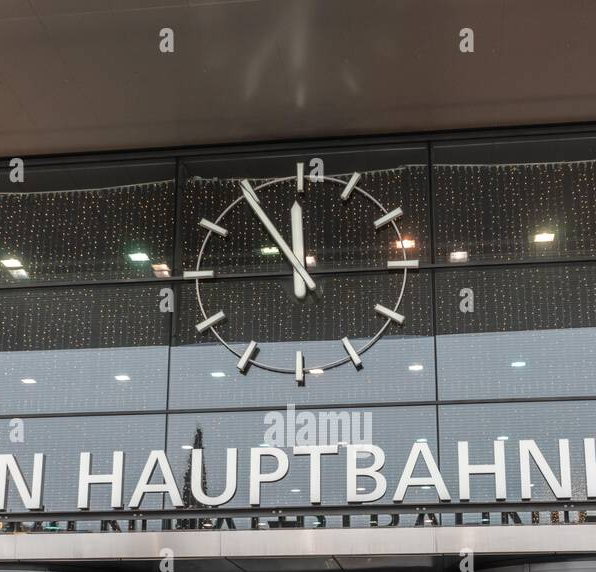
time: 11:54
